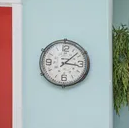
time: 3:07
